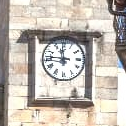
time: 11:46
